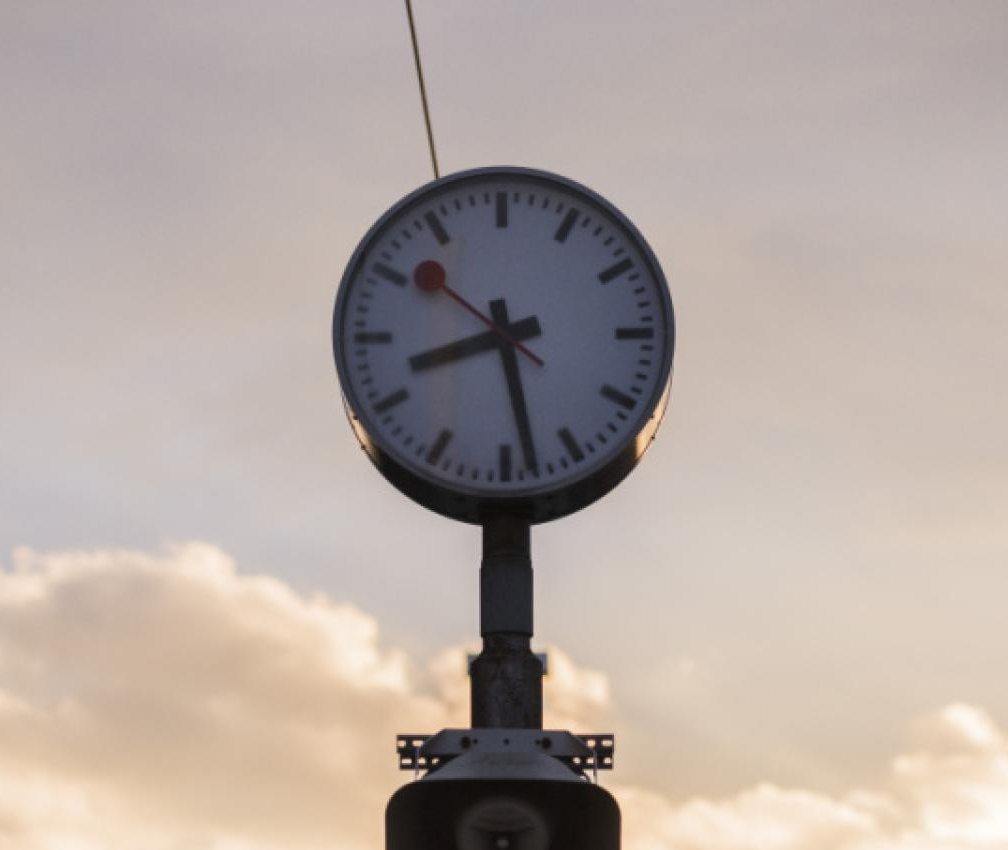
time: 8:28
